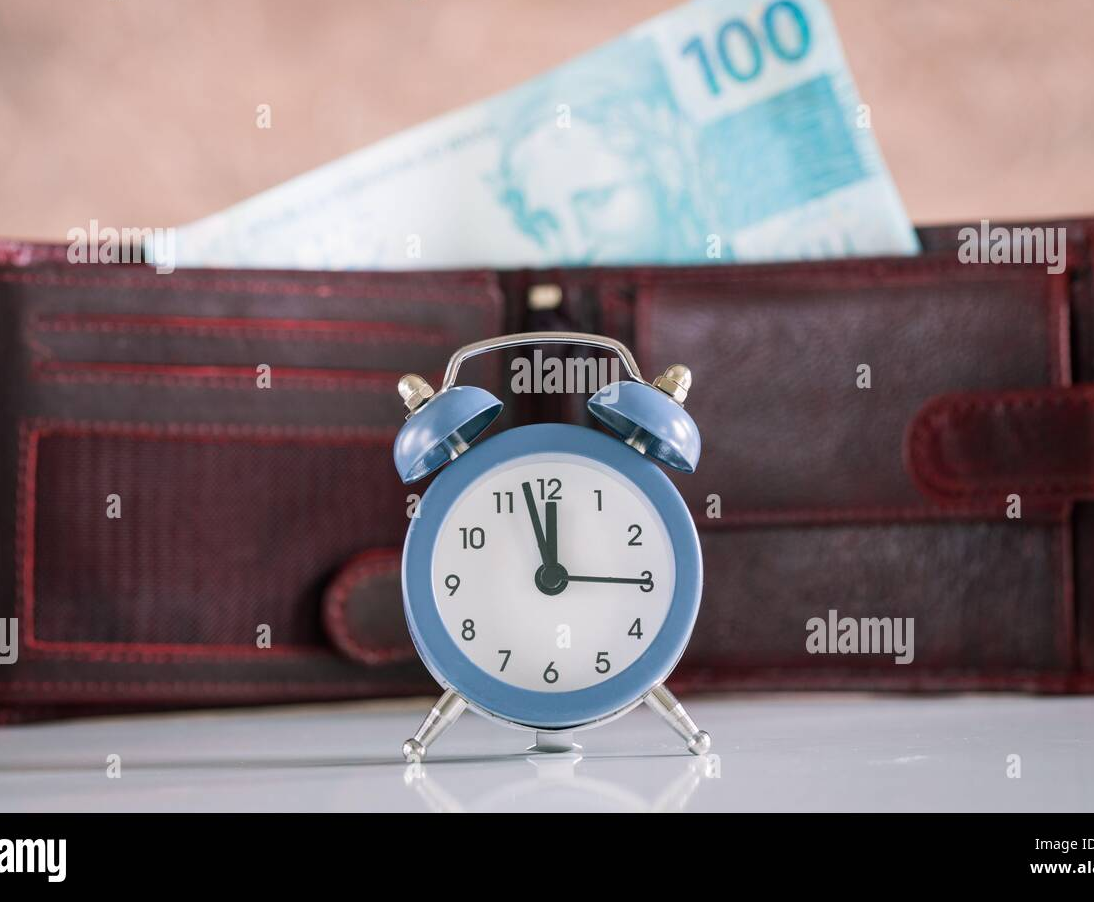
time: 11:57
